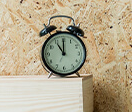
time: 11:00
